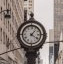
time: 1:20
